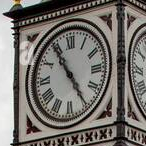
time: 4:54
